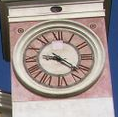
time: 9:22
